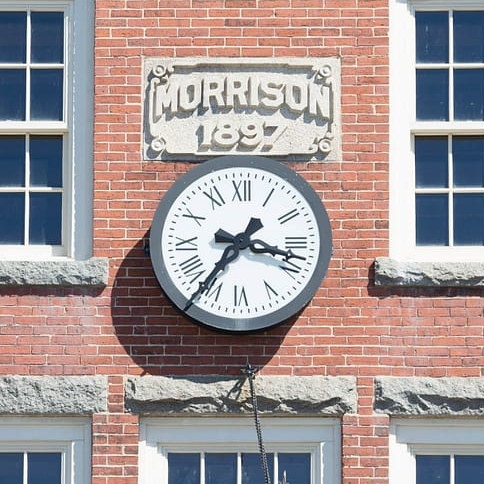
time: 7:17
